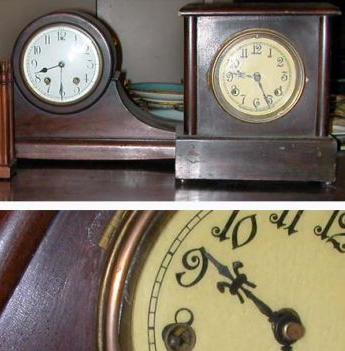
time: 9:25
